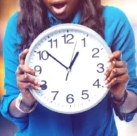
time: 12:51
